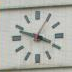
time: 3:48
